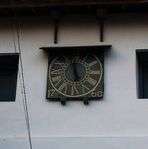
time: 11:58
